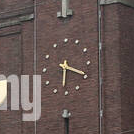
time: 6:18
